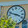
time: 3:48
